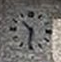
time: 10:32
